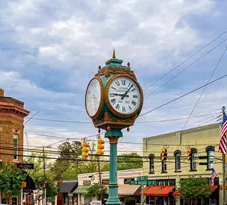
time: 9:07
